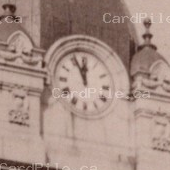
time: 11:55
